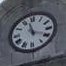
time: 11:18
